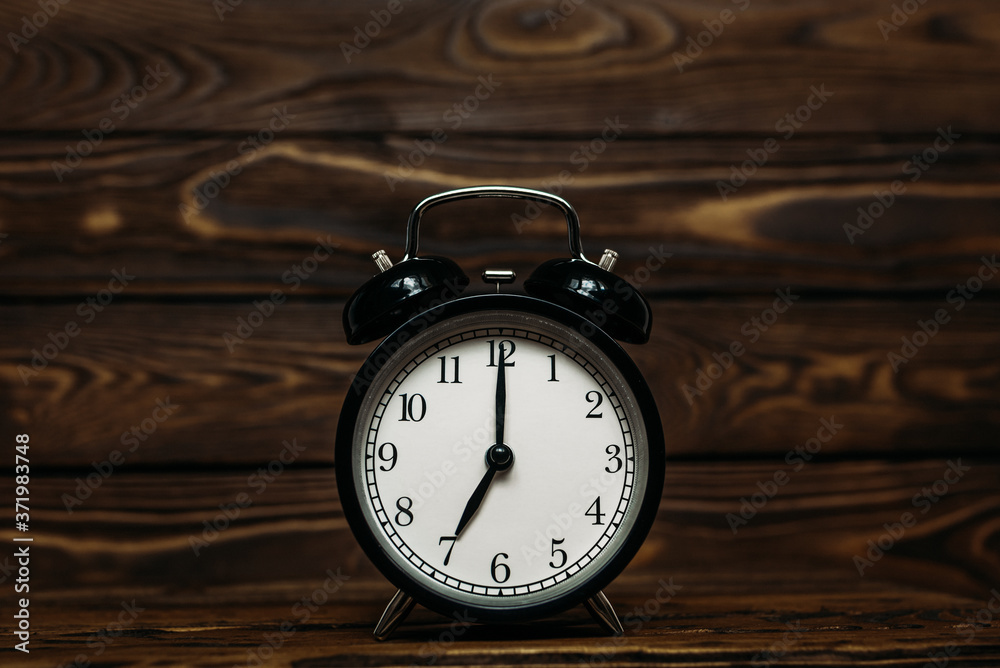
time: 7:00
